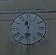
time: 11:31
